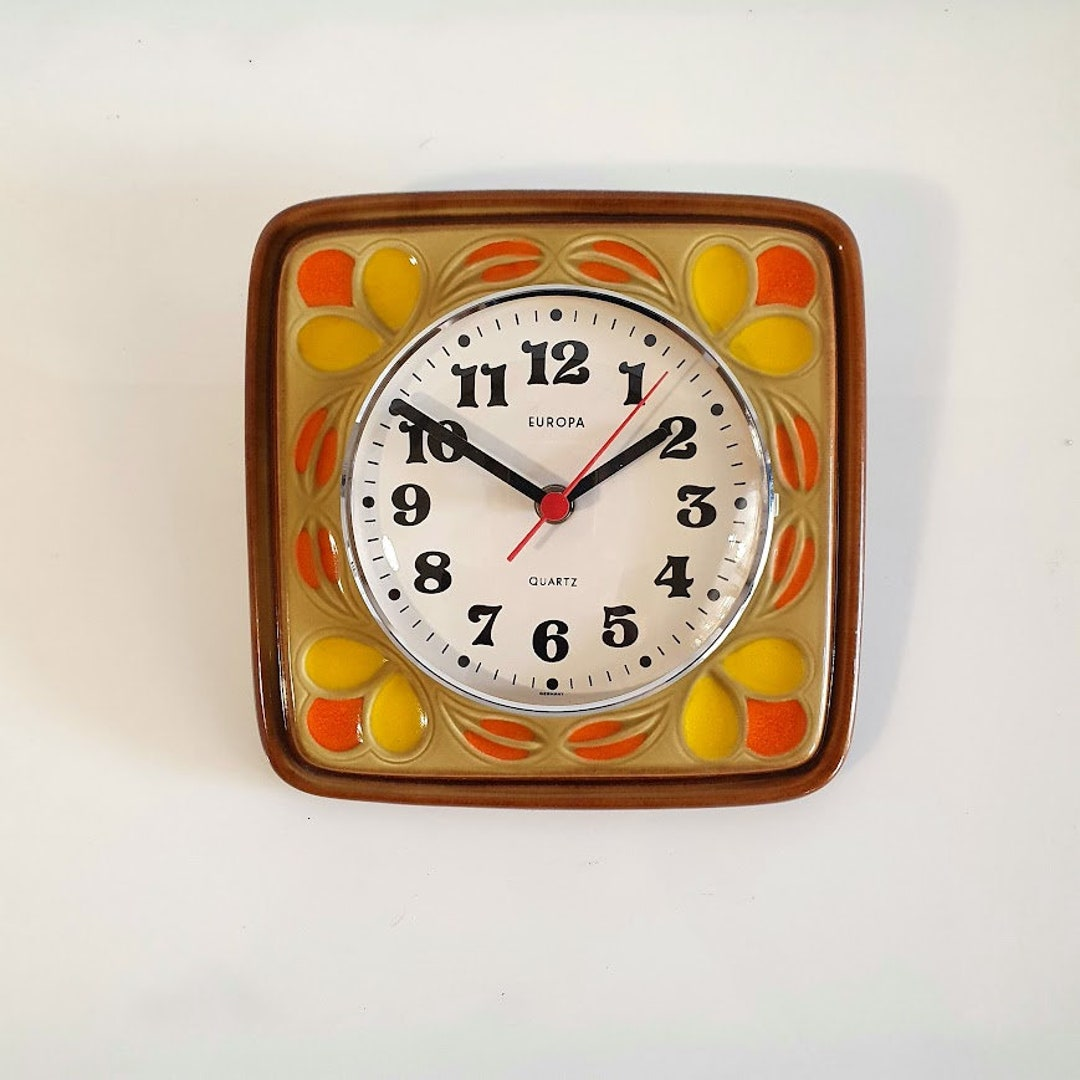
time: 1:50
